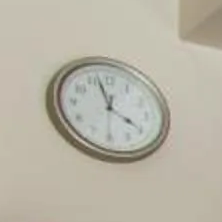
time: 3:57
